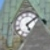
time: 5:08
